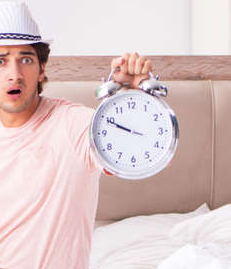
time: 9:49
